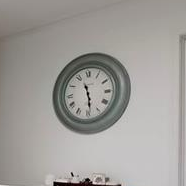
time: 11:28
